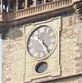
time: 4:22
